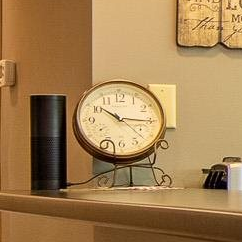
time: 10:15
